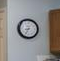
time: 8:34
